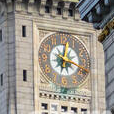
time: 4:02
